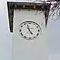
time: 4:57
